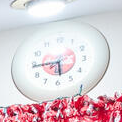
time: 5:43
